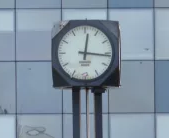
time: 12:16
